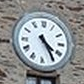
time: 4:24
